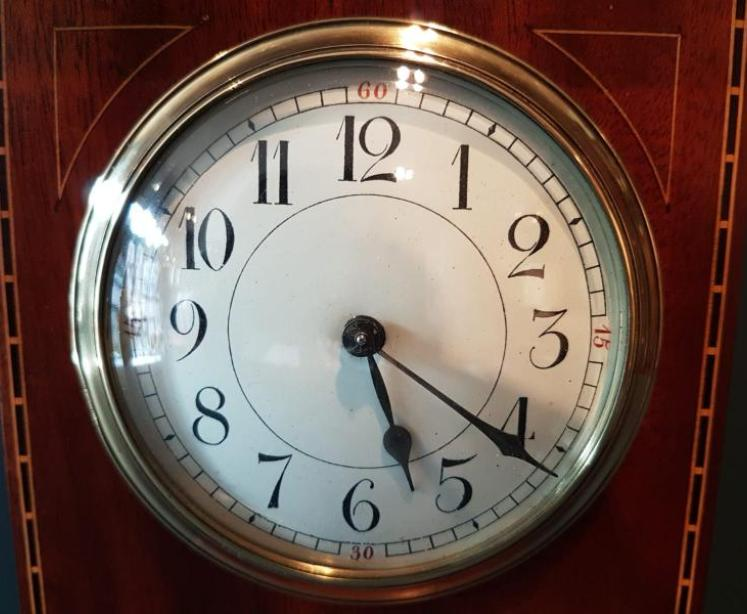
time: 5:21
